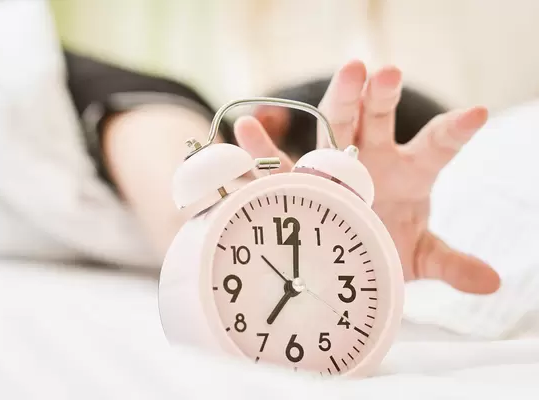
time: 7:01
